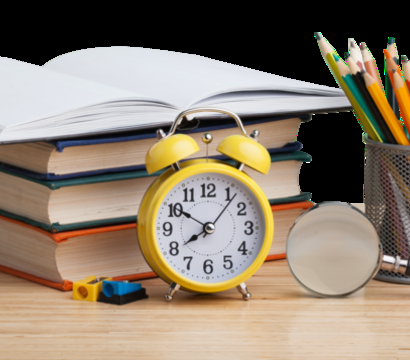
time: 7:50
